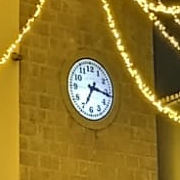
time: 7:16
